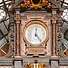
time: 12:23
